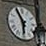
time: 5:55
